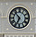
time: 6:53
